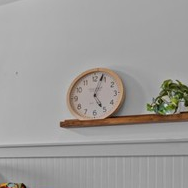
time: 5:03
